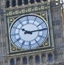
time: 10:14
